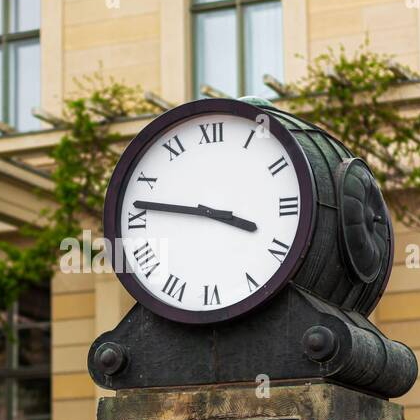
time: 3:46
